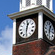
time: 12:30
